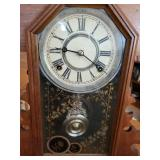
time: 9:20
